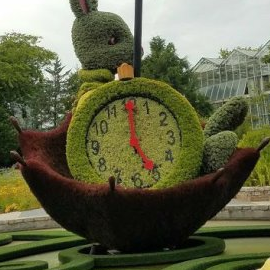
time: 5:00
